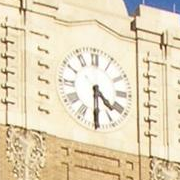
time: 4:30
